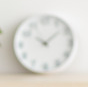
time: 10:07
